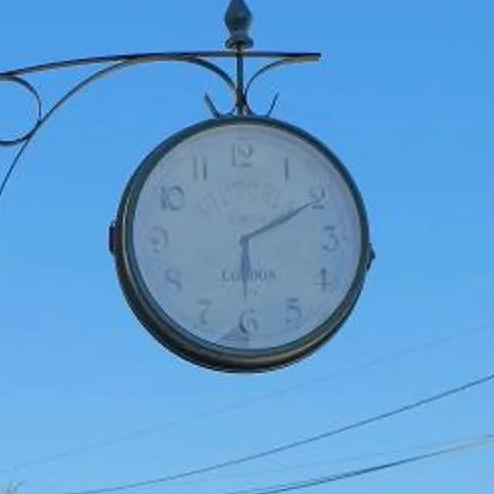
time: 6:10
